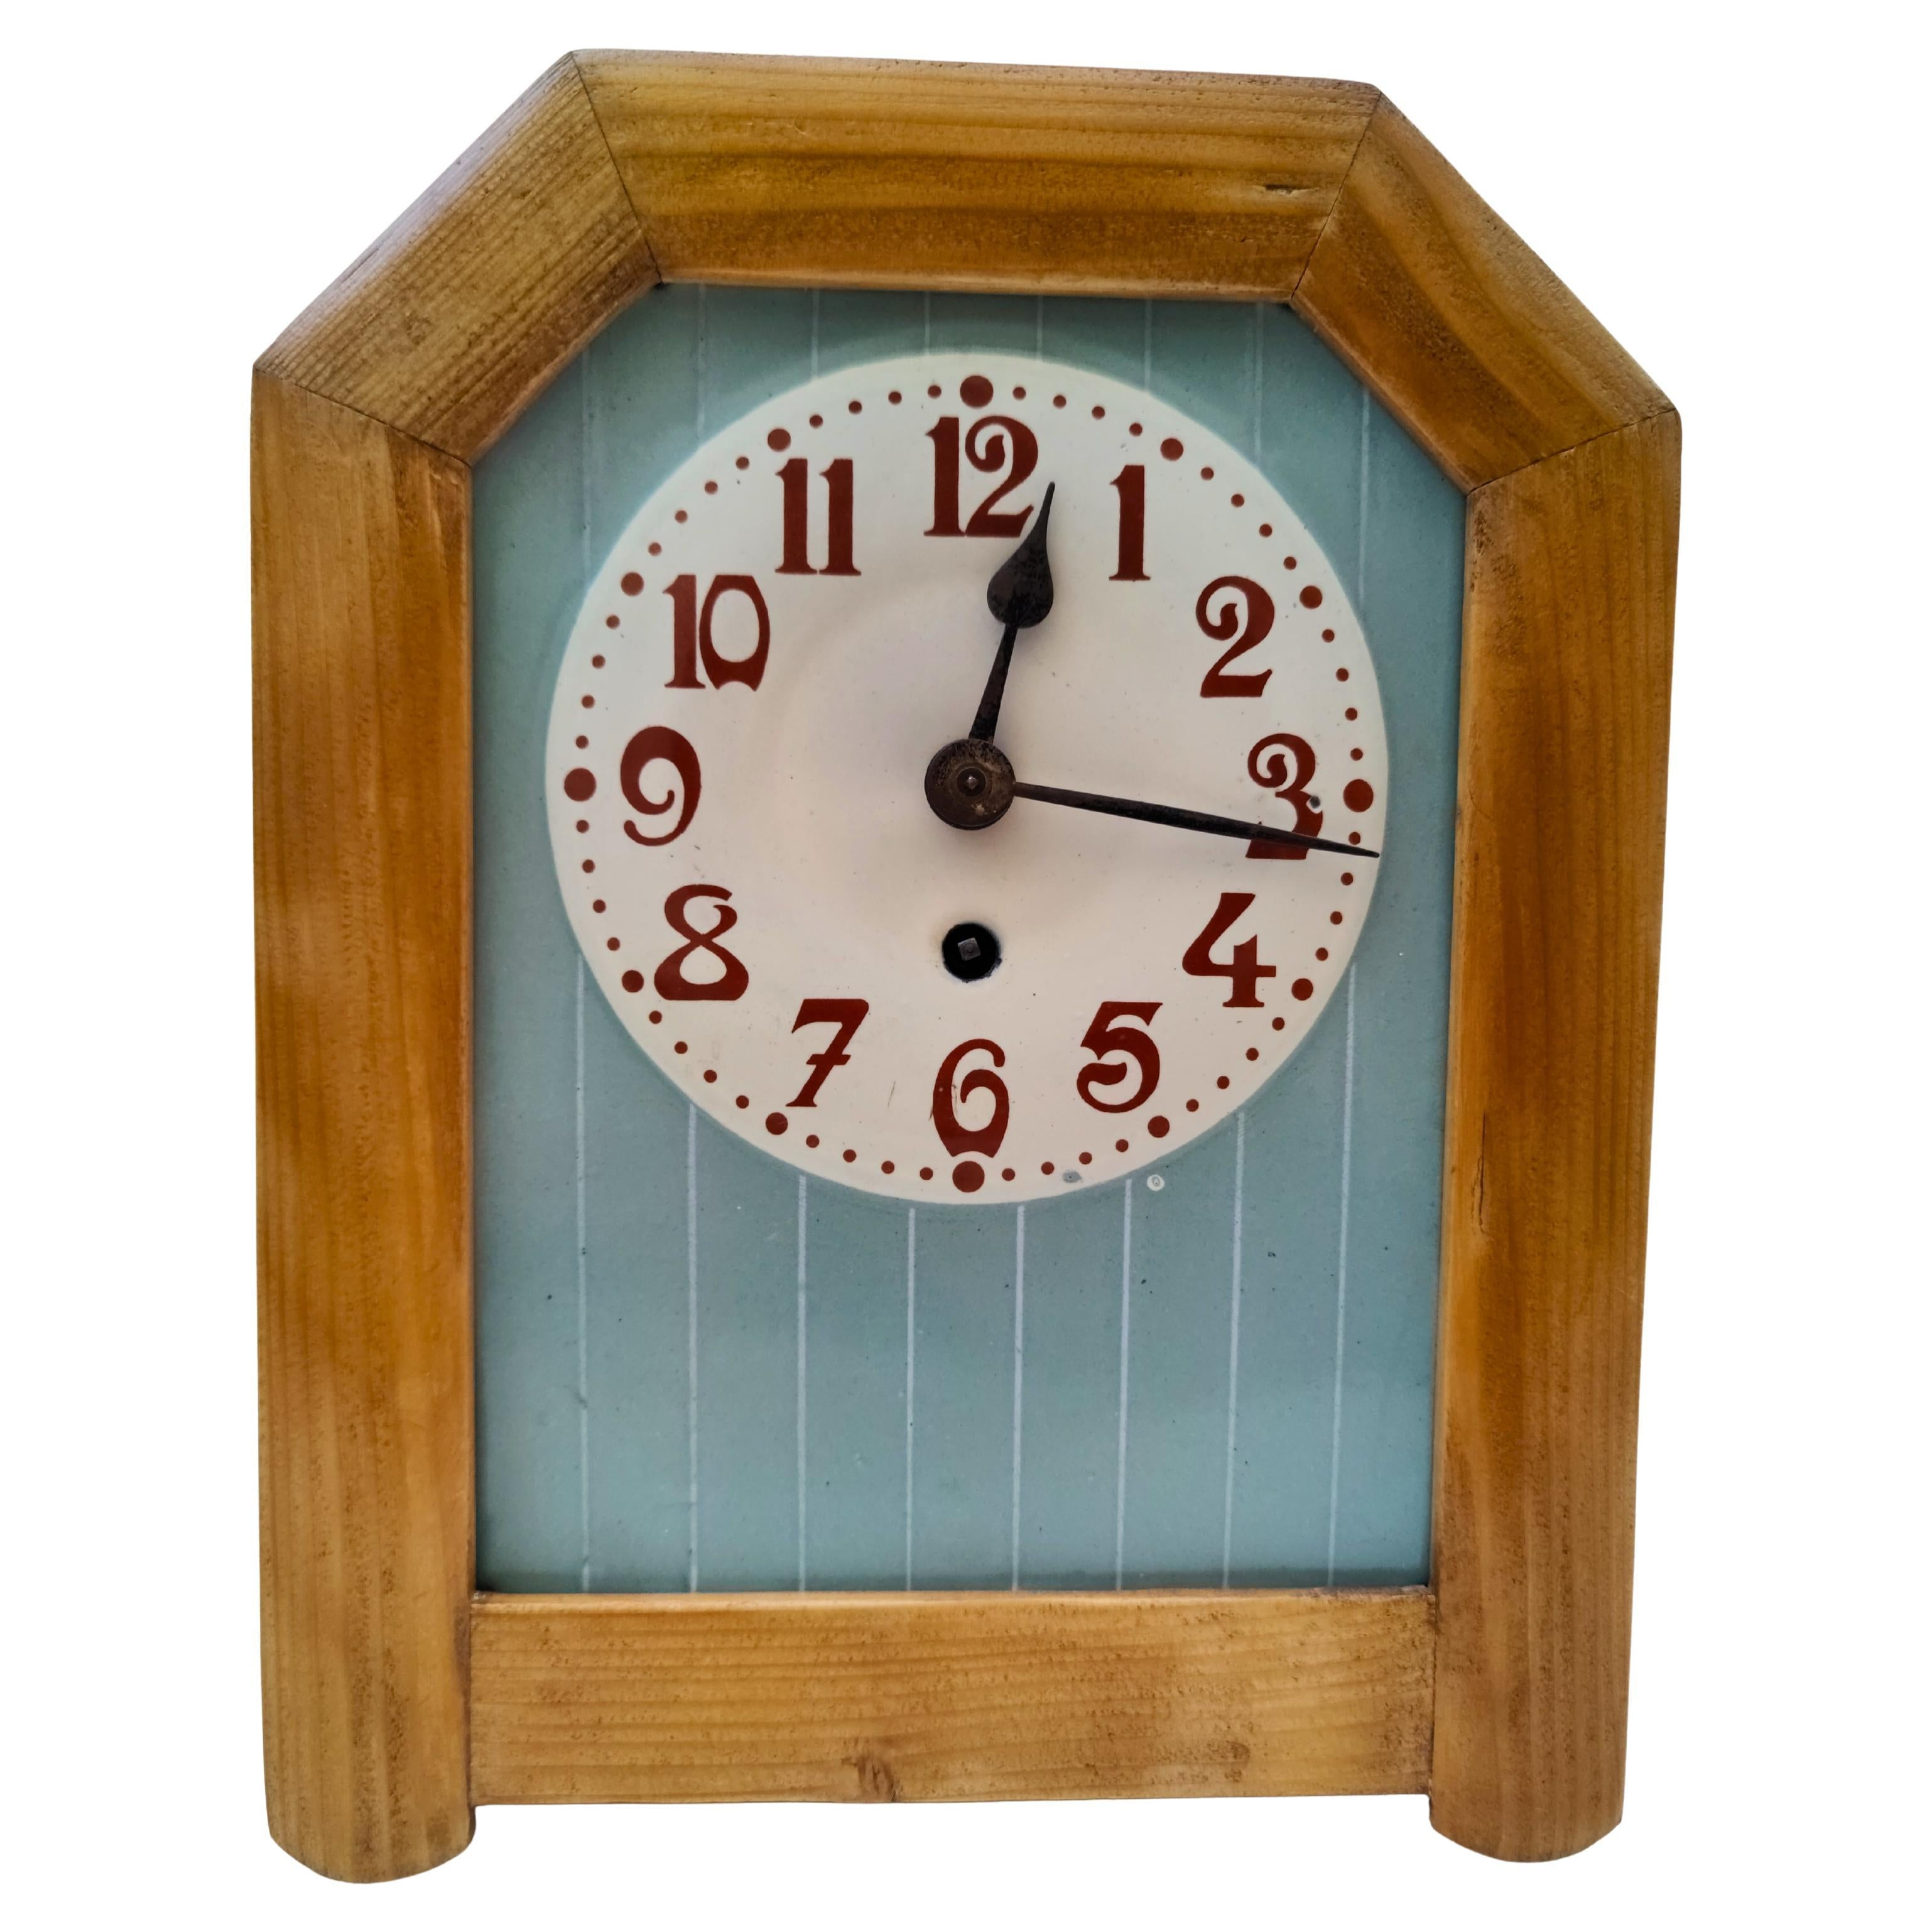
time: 12:16
